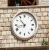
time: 10:42
